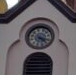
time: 4:16
